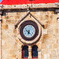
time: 6:23
